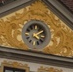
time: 4:08
